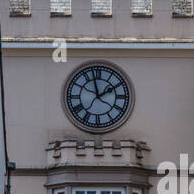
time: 1:57
